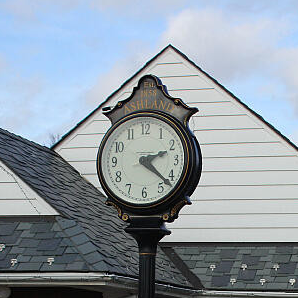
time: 2:21
